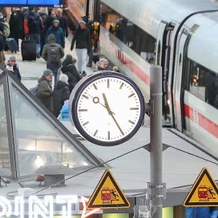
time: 11:24
